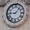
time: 9:07
